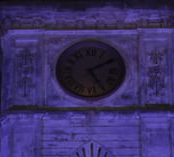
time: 5:09
